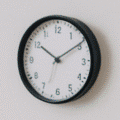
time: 10:09
